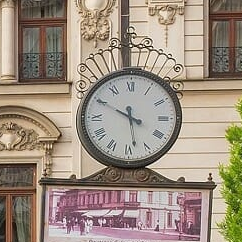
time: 5:49
